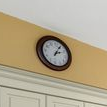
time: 2:04
